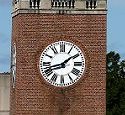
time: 1:42
